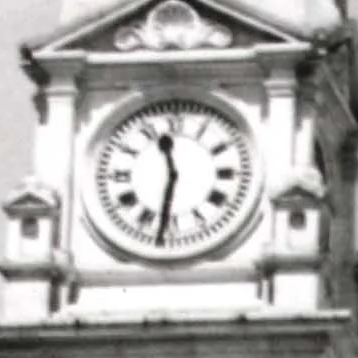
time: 11:31
